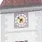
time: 6:52
